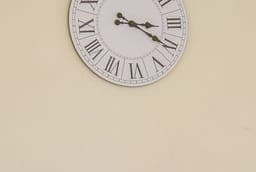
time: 3:20
